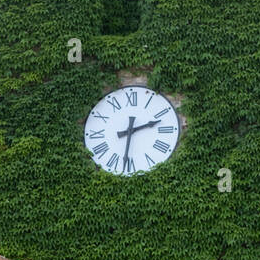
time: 2:31
